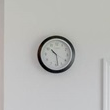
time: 10:28
